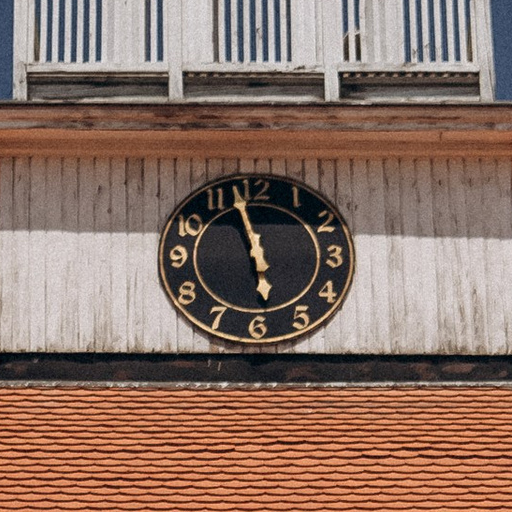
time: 5:57
